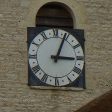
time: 3:04
